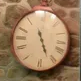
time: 5:26
